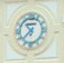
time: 10:37
